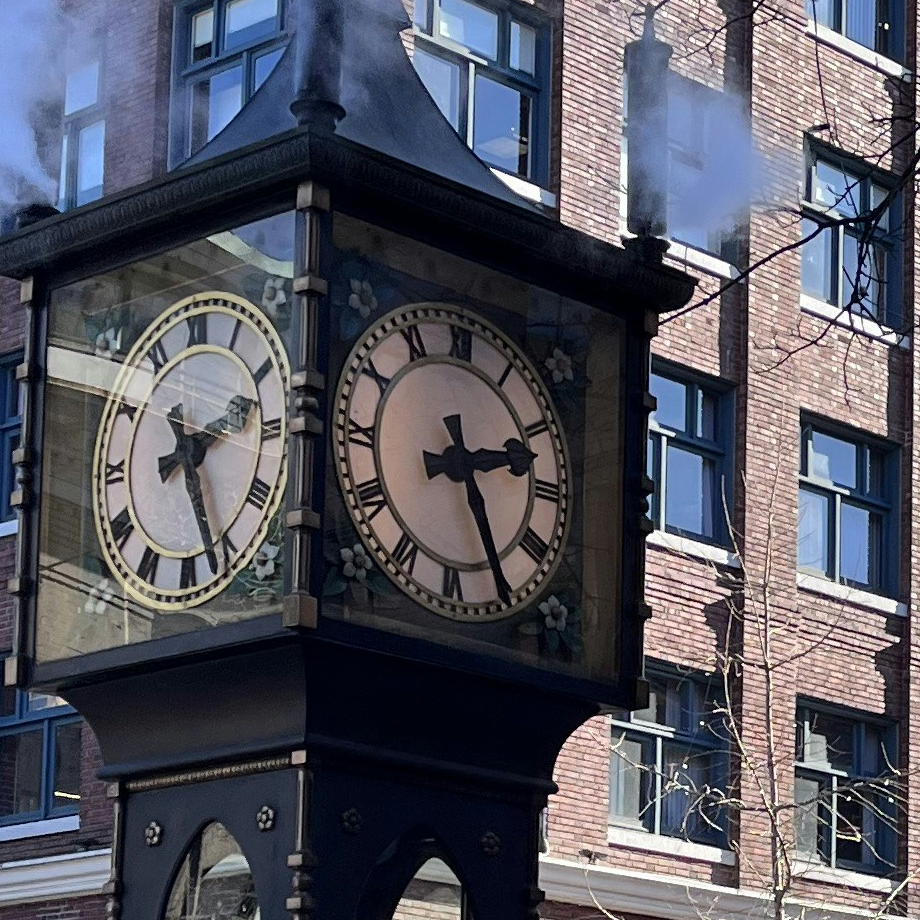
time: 2:25
